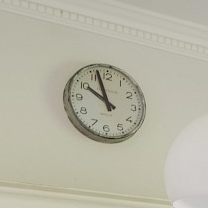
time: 9:56
